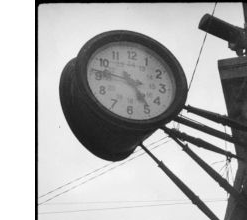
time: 4:46
